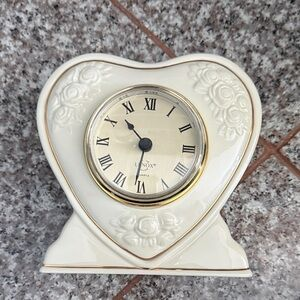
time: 10:31
